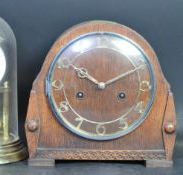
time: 10:10
